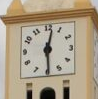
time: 12:29
